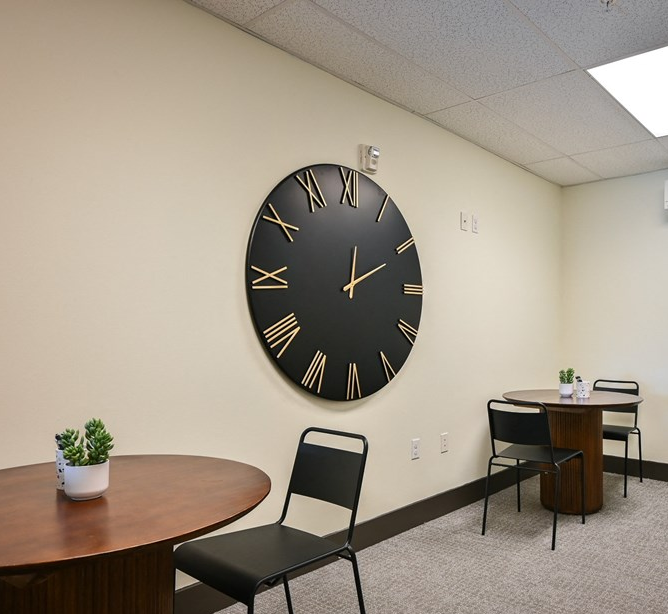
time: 12:10
